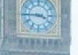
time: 3:45
